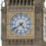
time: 4:39
